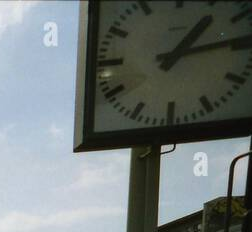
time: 1:13
